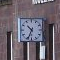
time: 10:34
